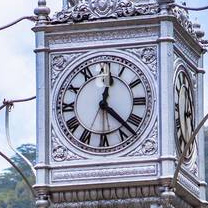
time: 12:22
